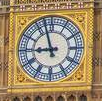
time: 8:57
